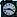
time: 3:43
